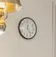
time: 12:23
